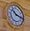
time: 10:17
